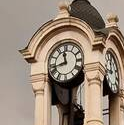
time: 11:42
